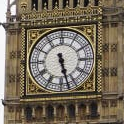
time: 5:27
